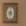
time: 9:01
